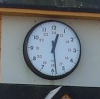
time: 12:28
